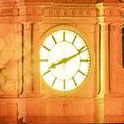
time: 8:11
